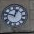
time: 12:47
